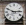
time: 2:49
